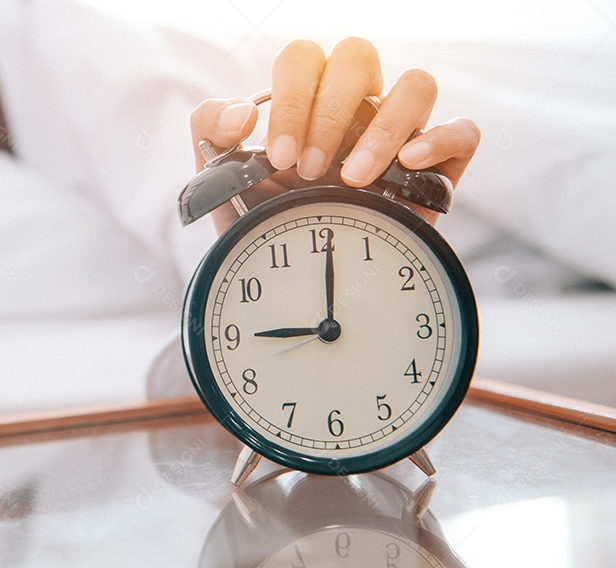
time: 9:01
